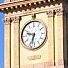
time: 9:33
